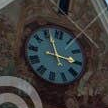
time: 2:56
